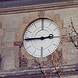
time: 2:45
